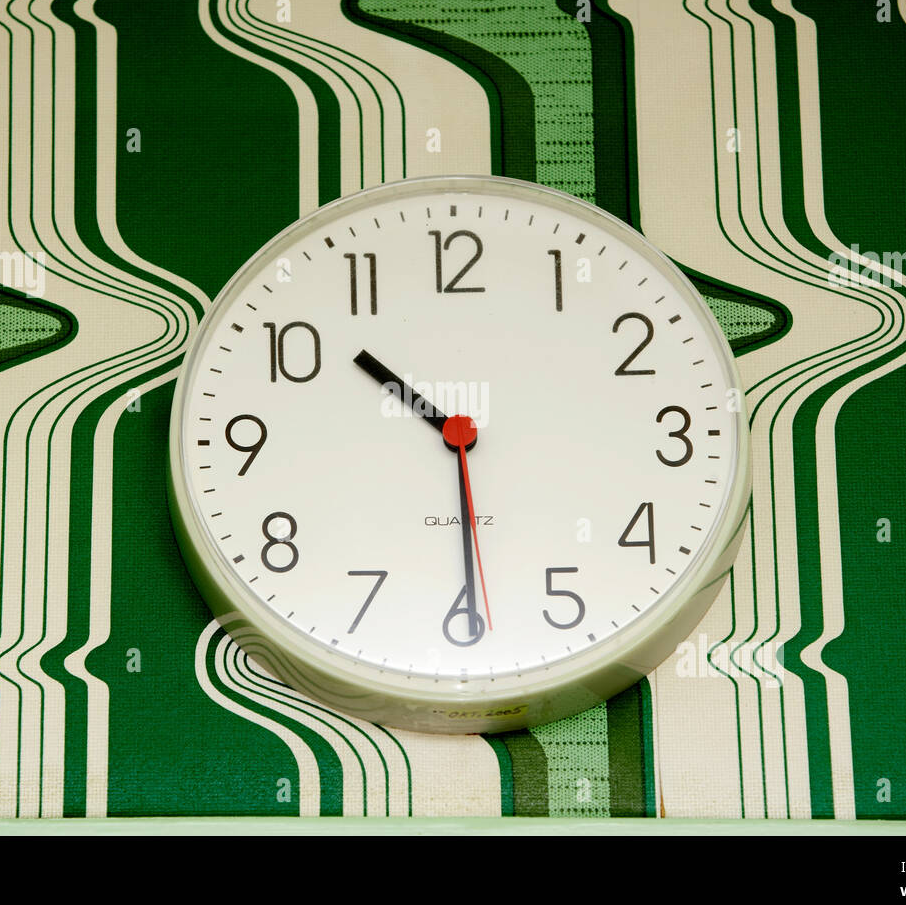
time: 10:29
